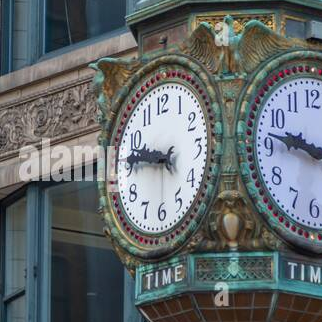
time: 9:46
